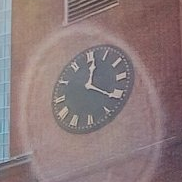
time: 12:21
